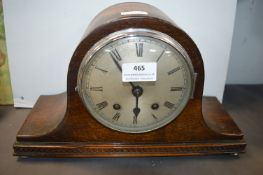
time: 5:54
